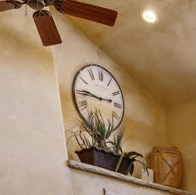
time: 2:45
